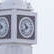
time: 10:38
